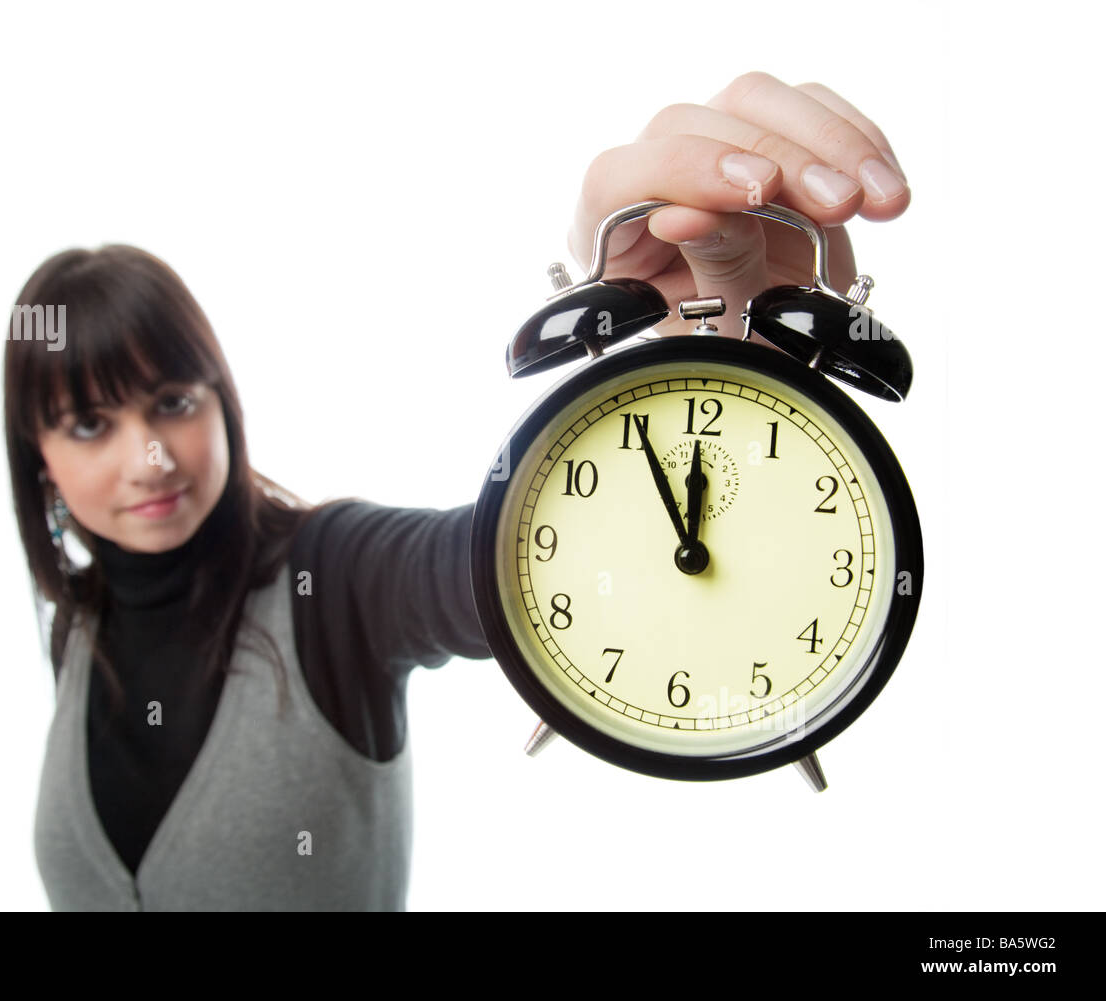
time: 11:55
